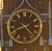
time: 8:22
